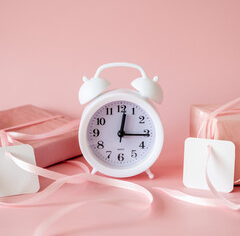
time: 12:15
